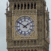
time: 1:51
